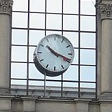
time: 10:18
